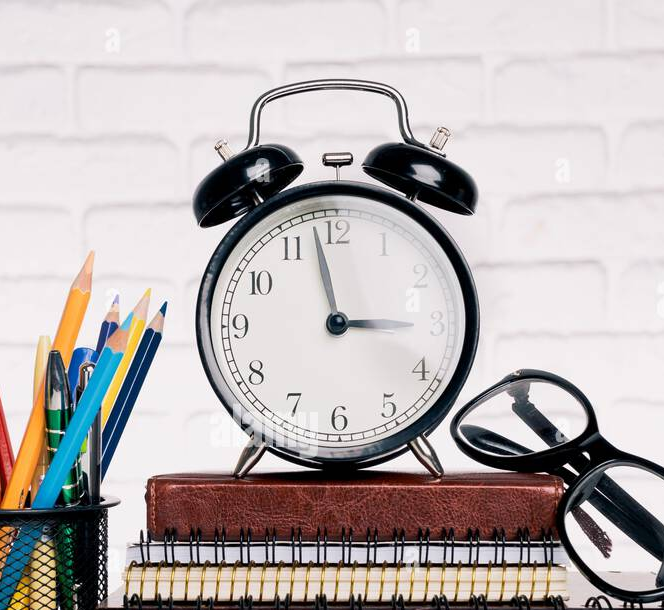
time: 2:58
